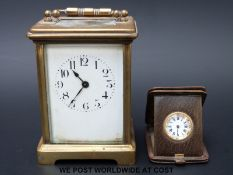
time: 10:37
